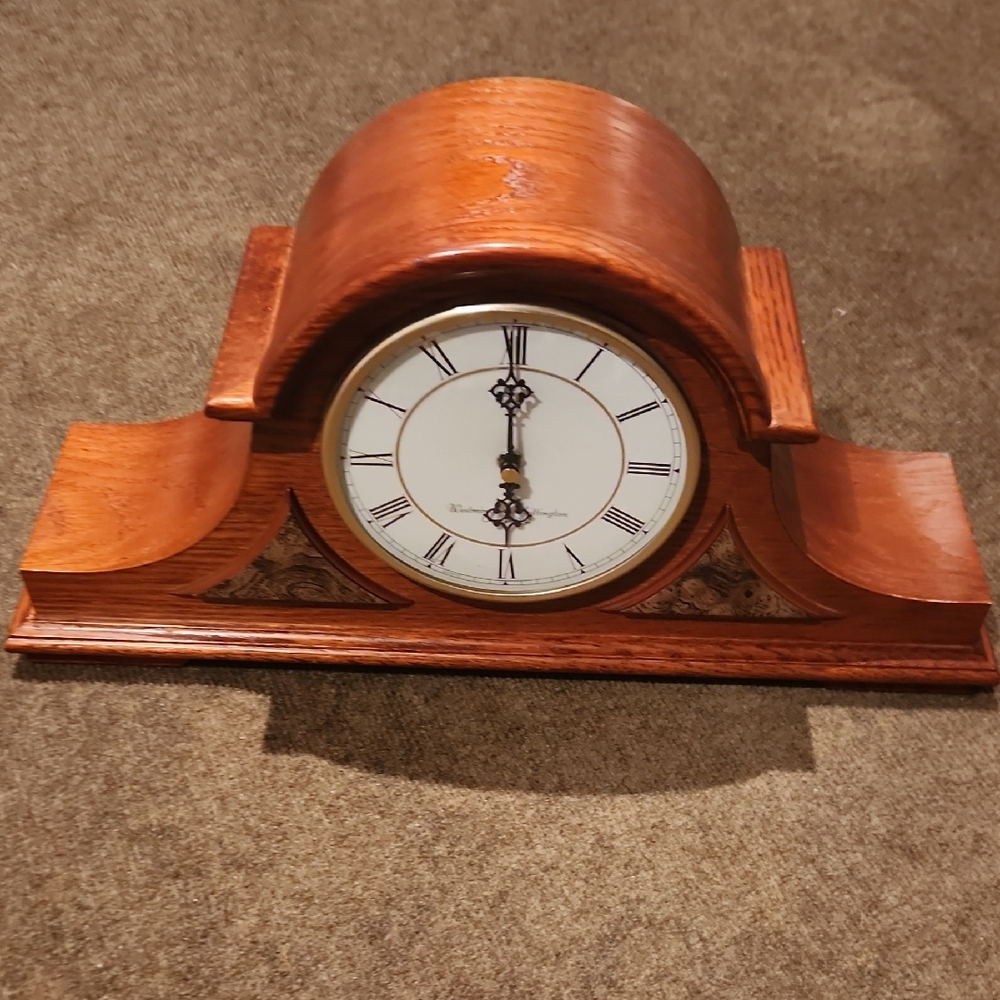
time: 6:00
